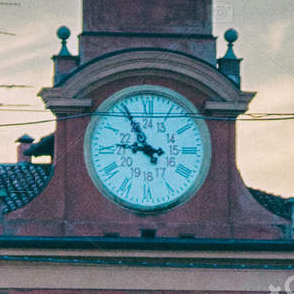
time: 10:46
